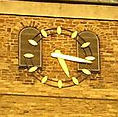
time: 5:16
